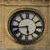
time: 5:43
